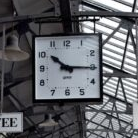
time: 10:15
